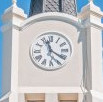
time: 11:20
